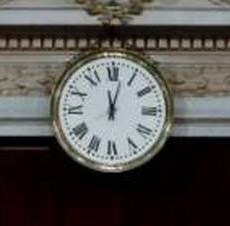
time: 12:02
